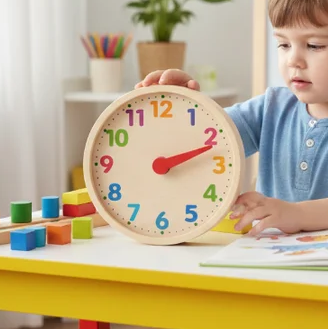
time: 2:11
